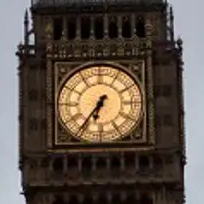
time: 6:36
